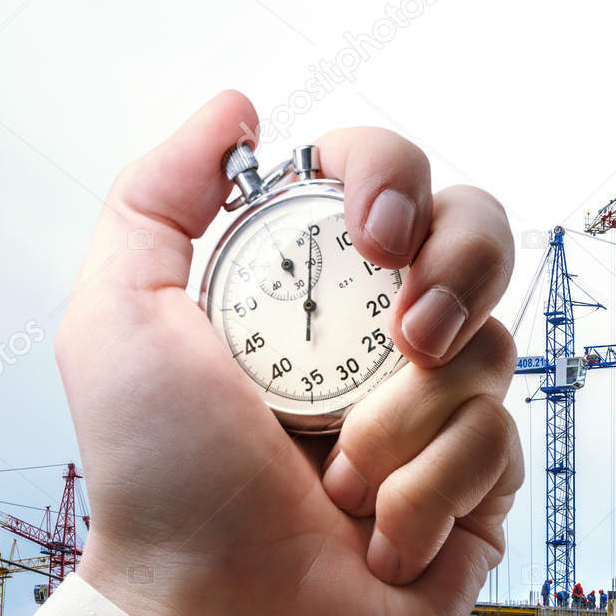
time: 11:00
